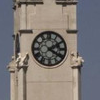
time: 4:09
